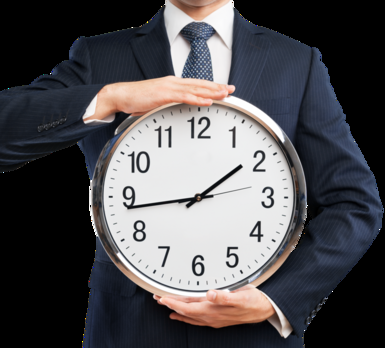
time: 1:43
